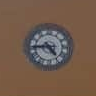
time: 4:44
